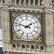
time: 1:47
